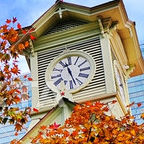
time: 11:28
